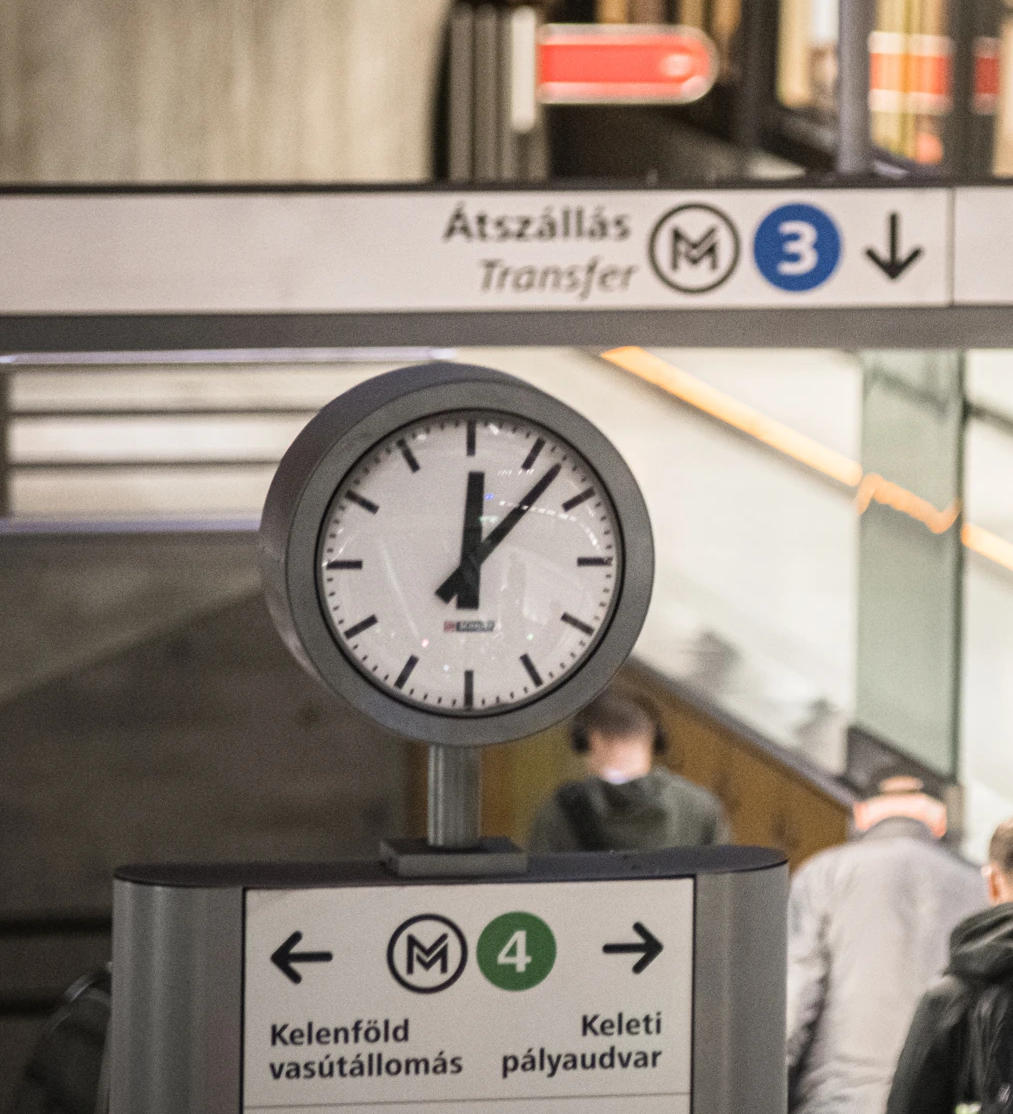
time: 12:07
